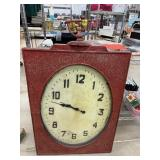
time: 9:47
